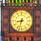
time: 8:33
